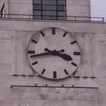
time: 3:43
